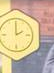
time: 2:00
